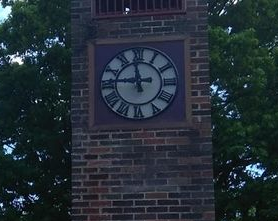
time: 11:45
